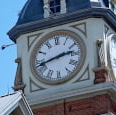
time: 2:42
